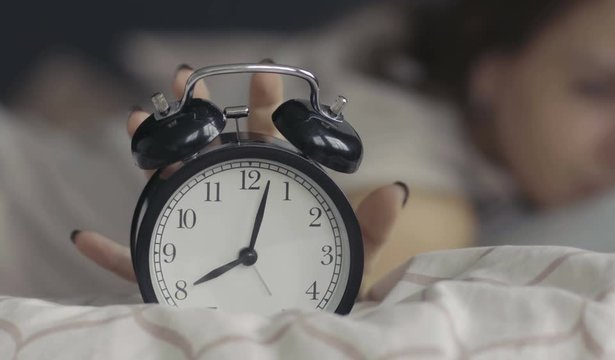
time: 8:02
